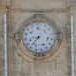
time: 8:36
